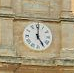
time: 5:00
